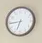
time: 6:44
